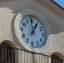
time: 12:58
